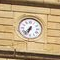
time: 6:36
